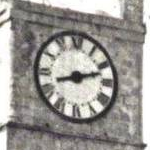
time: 8:12
